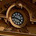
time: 3:46
